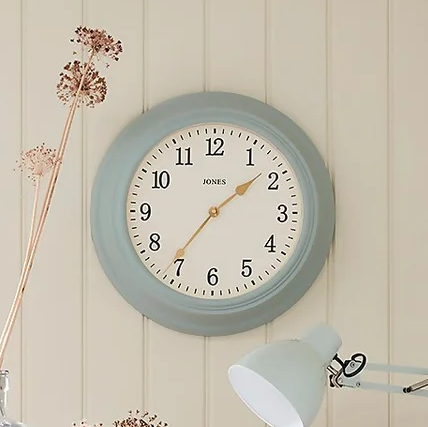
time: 1:36
